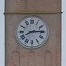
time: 8:14
